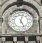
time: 5:03
